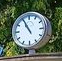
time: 10:55
